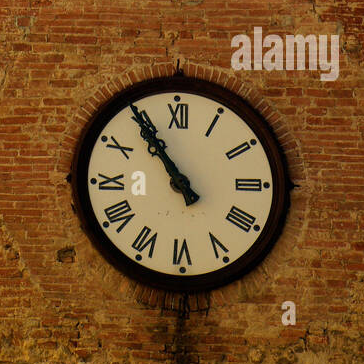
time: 10:54
